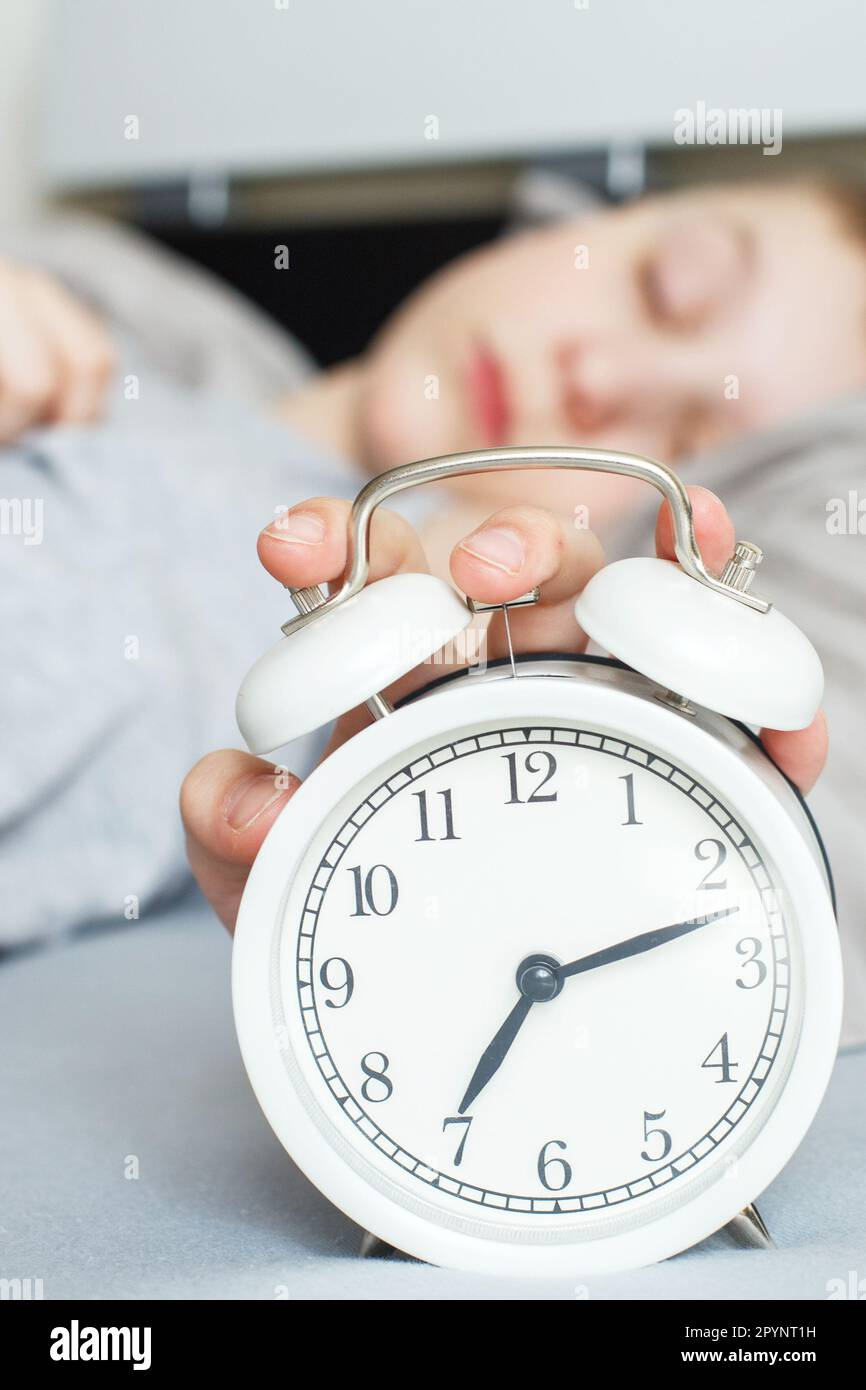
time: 7:12
